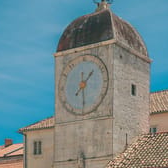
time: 1:29
